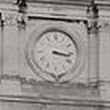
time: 3:16
